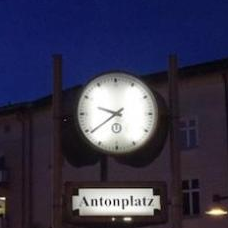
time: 9:39
